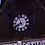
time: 7:55
